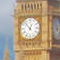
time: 12:53
